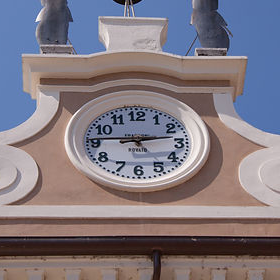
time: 9:12
